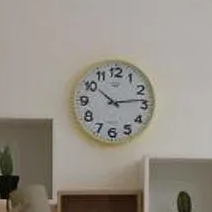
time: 10:13
